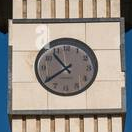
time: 10:39
